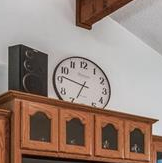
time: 6:46
